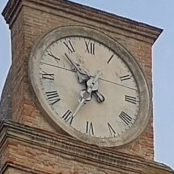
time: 6:52
